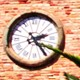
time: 2:24
